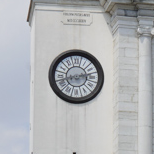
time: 2:42
